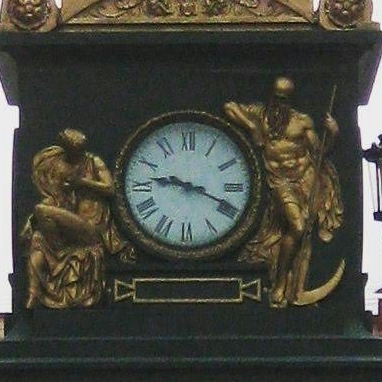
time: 9:18
